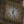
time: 12:26
